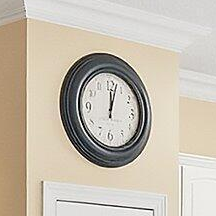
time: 12:02
